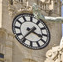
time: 3:36
